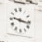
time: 9:16
